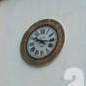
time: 10:15
